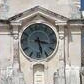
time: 3:27
